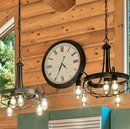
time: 4:34
